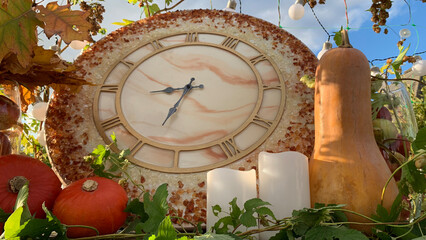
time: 8:34
